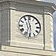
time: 11:33
